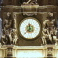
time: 11:37
